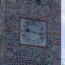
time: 9:16
